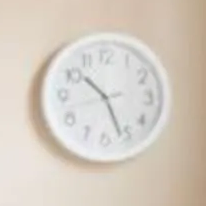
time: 10:26
